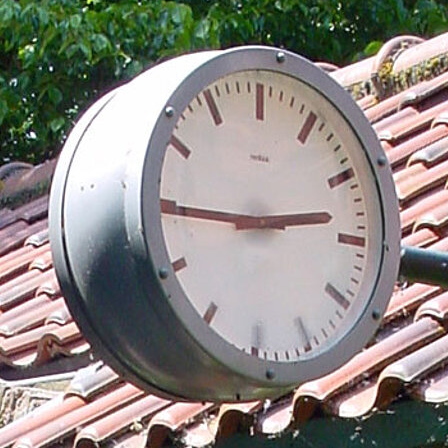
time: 2:45
